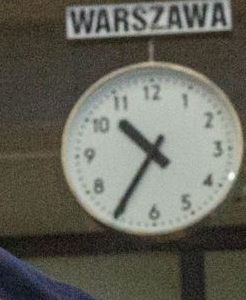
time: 10:35
